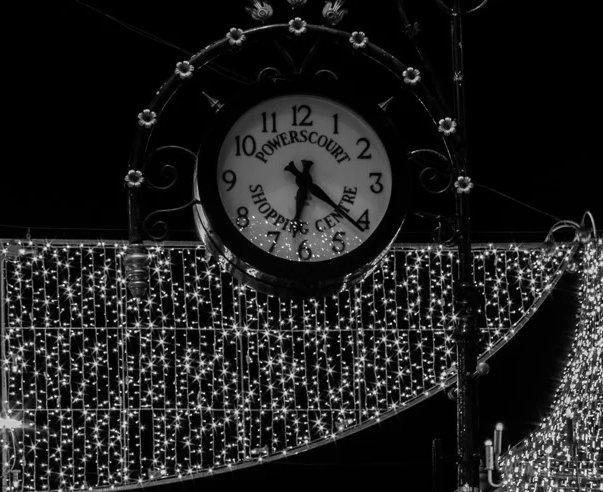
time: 6:21
